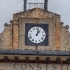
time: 1:01
